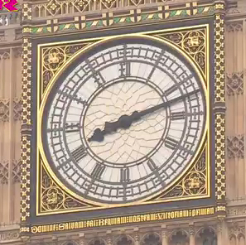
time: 8:12
